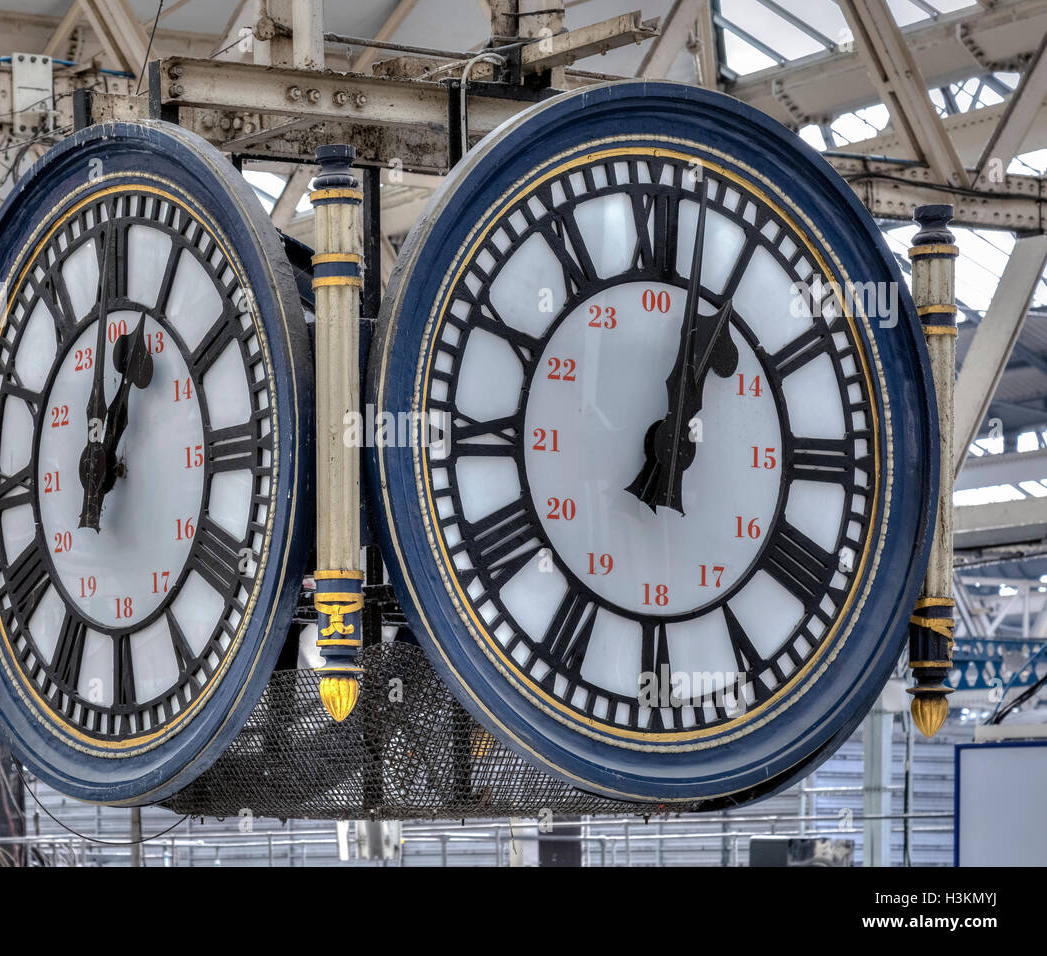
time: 1:02
